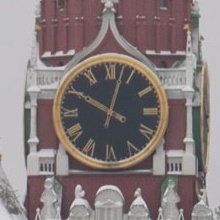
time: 10:02
